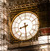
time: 8:29
